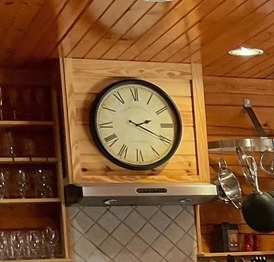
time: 2:19
